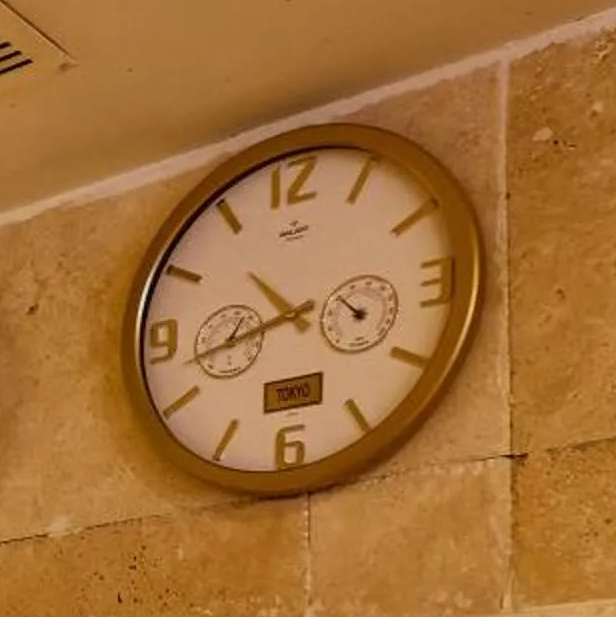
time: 10:42
